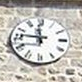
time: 11:46
